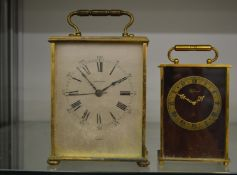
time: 1:52
